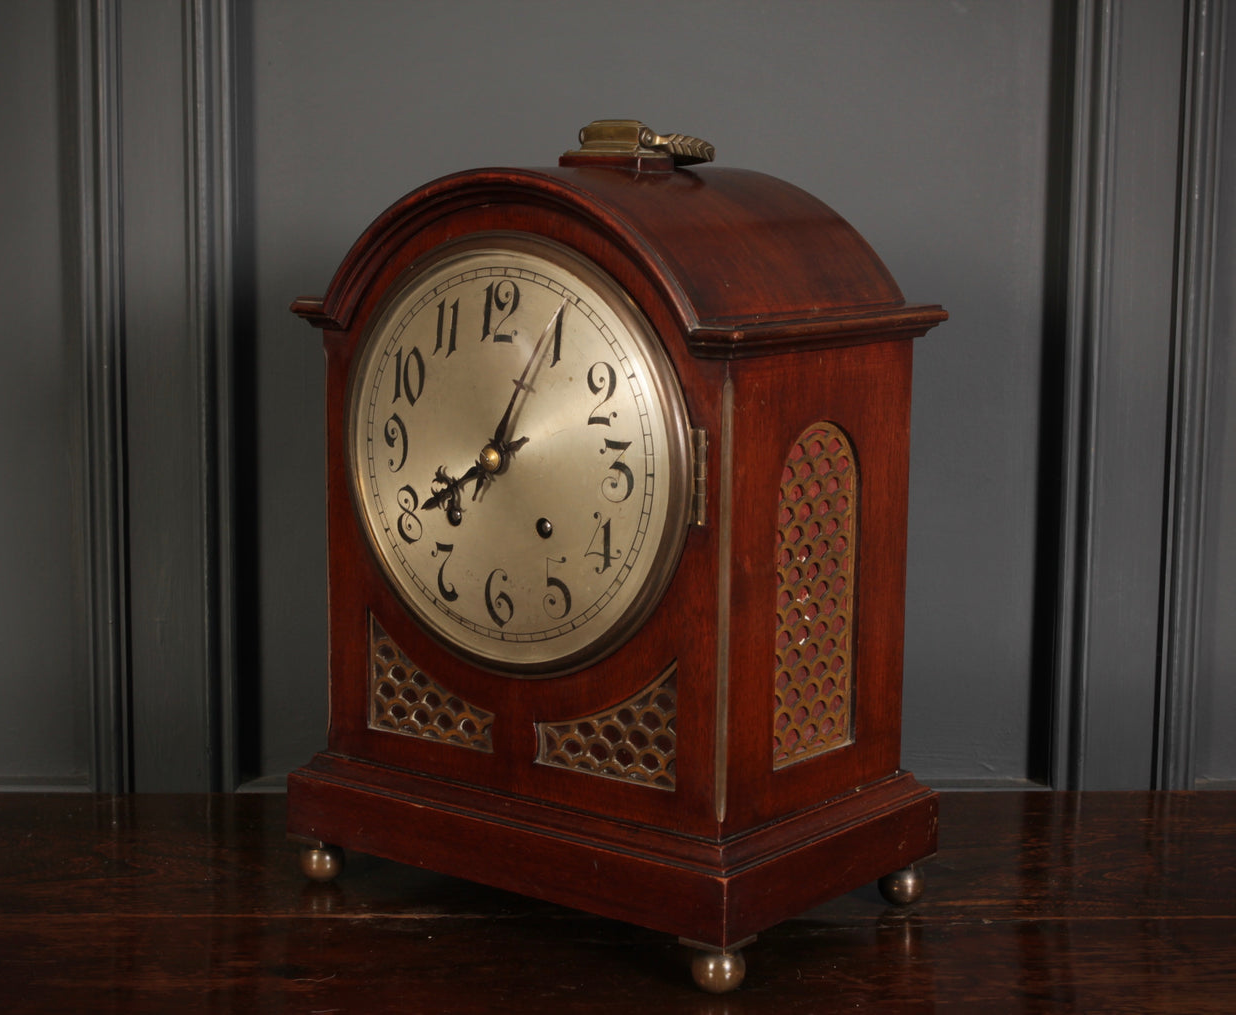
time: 8:04
